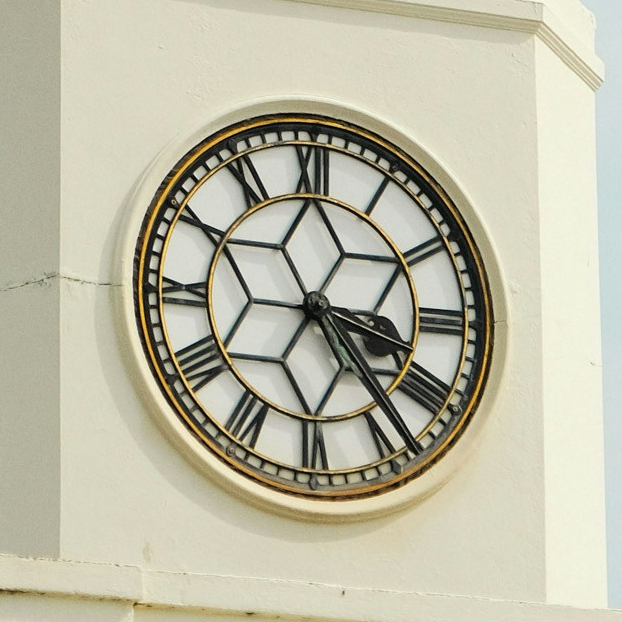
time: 3:23
